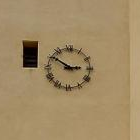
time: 2:50
